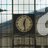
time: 12:28
